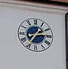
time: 2:35
